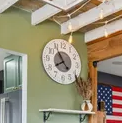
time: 7:54
